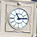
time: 11:13
